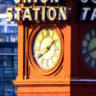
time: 1:39
